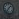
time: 7:07
